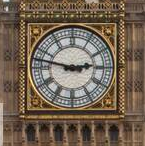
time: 2:47
